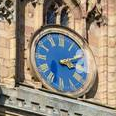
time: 3:11
